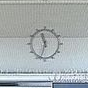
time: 11:32
